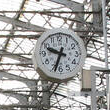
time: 9:33
